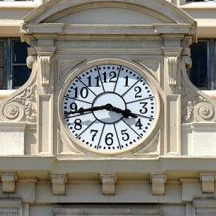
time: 3:43
